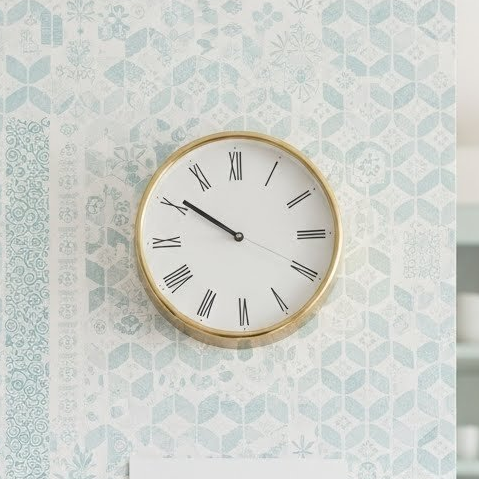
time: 9:50
